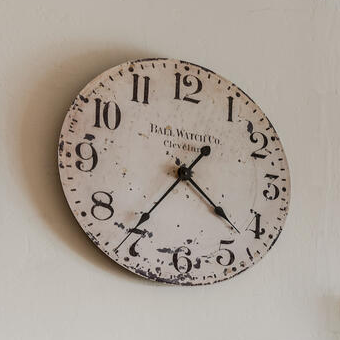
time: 4:35
